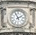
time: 1:56
